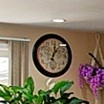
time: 1:01
